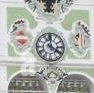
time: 3:59
